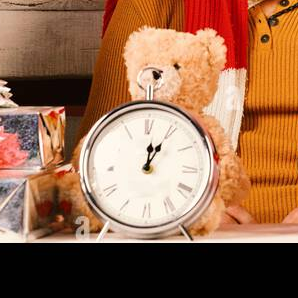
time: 12:04
